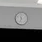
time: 11:33
